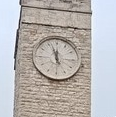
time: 11:56
